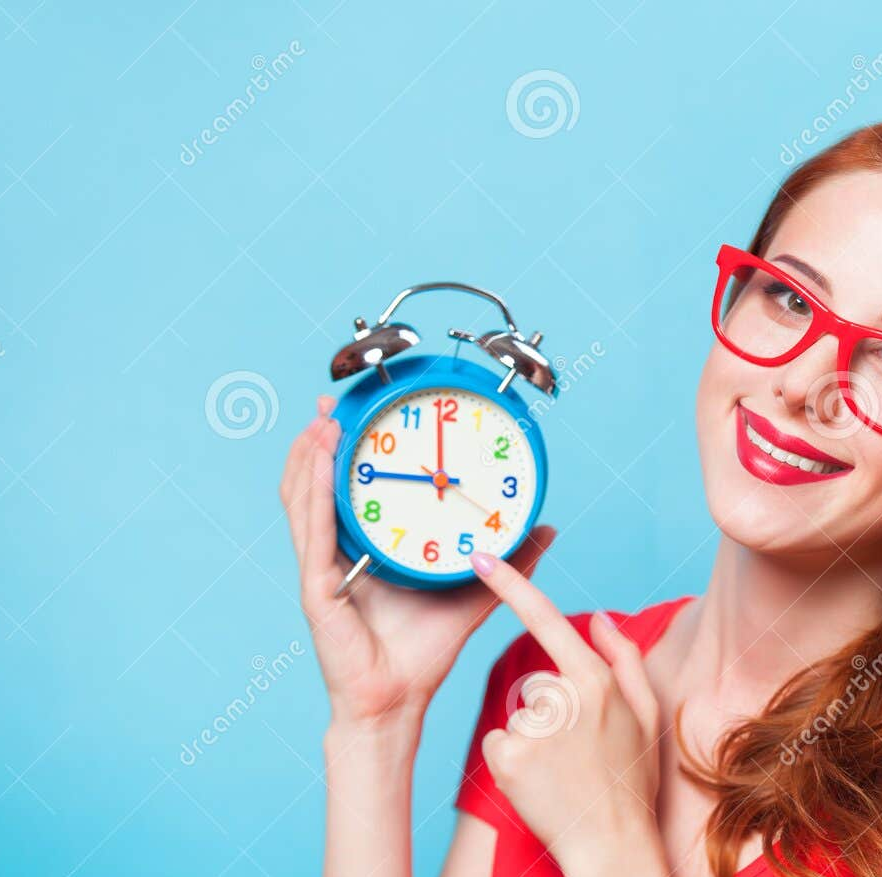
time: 11:45
